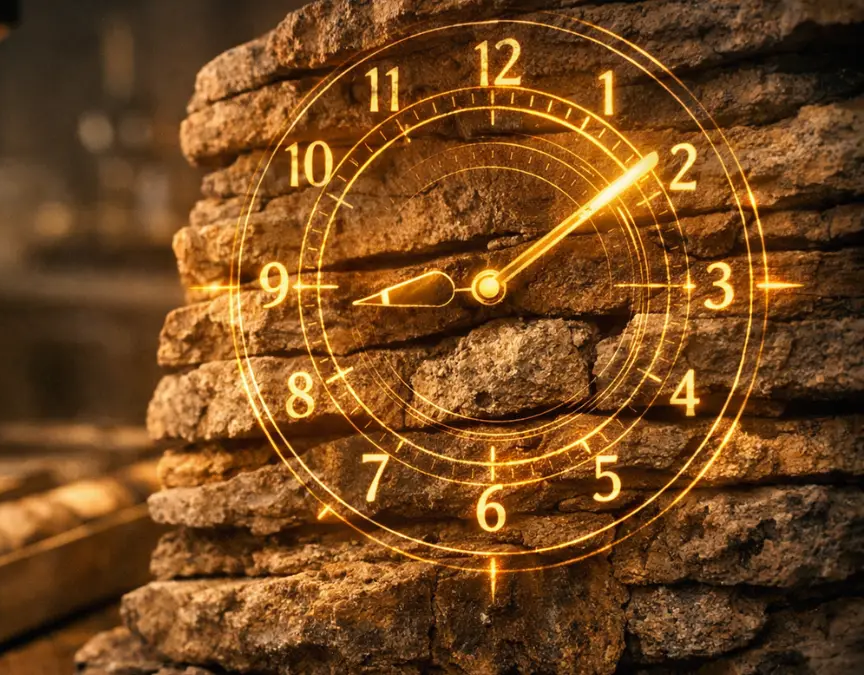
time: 3:08
